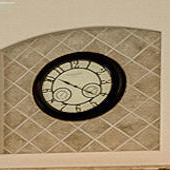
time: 10:22
